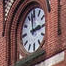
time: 2:59
